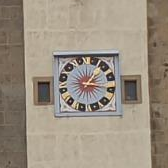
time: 1:16
